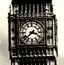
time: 3:37
